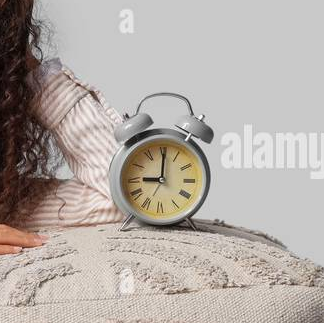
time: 9:00
